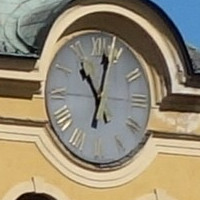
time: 11:02
